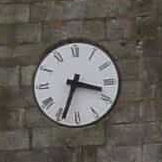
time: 3:33
